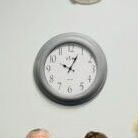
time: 10:04
